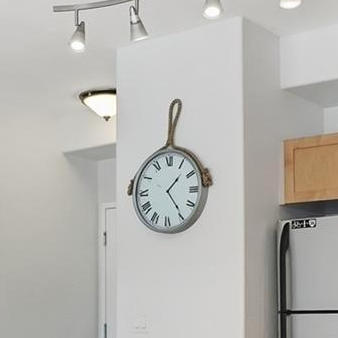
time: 1:24
